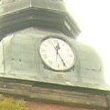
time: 12:24
